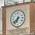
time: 6:37
